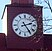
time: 2:24
